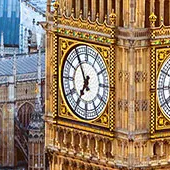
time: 6:54
